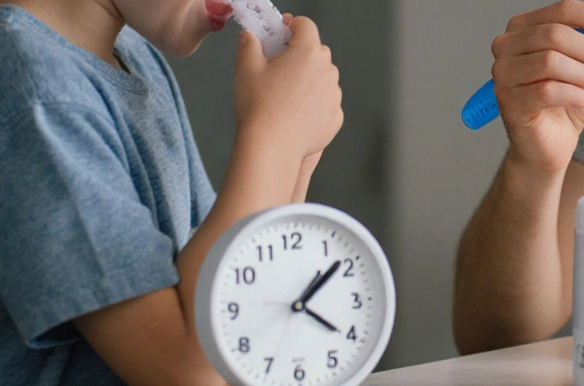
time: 4:08
